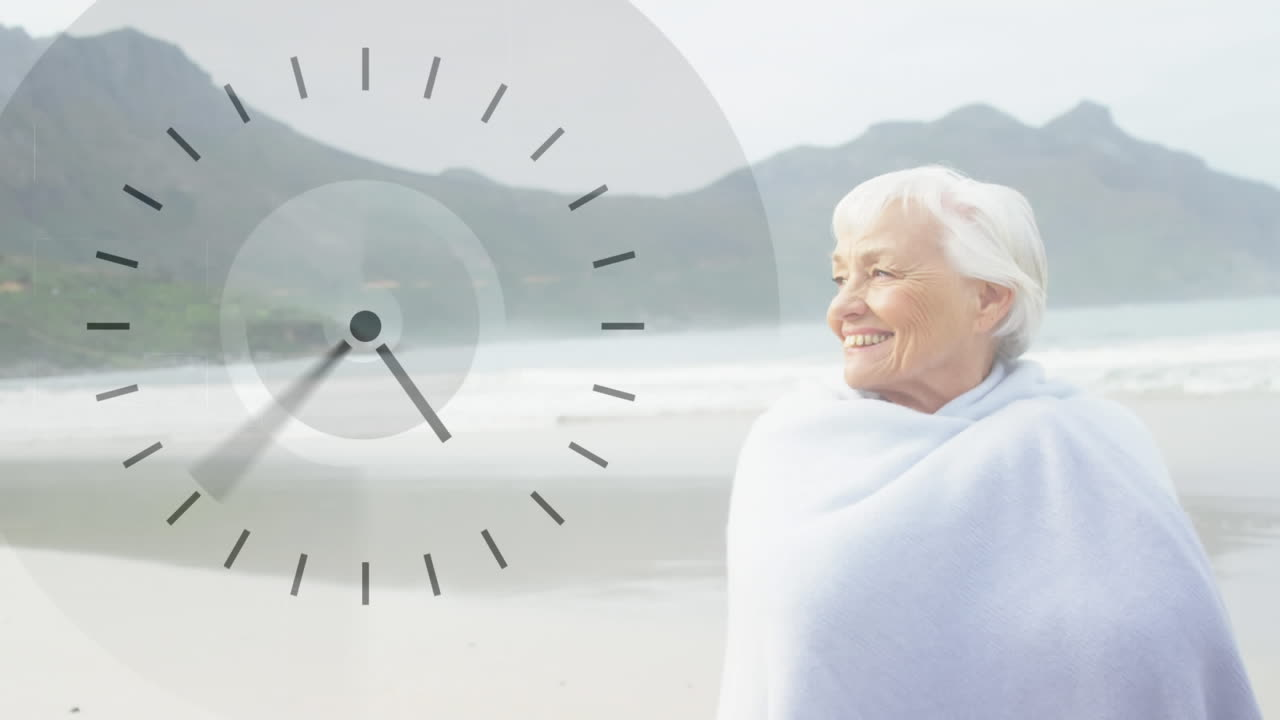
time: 4:35
